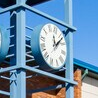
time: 12:07
